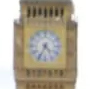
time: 4:34
